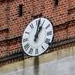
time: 1:02
